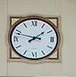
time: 1:47
